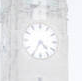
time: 4:34
